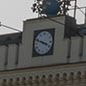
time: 3:48
